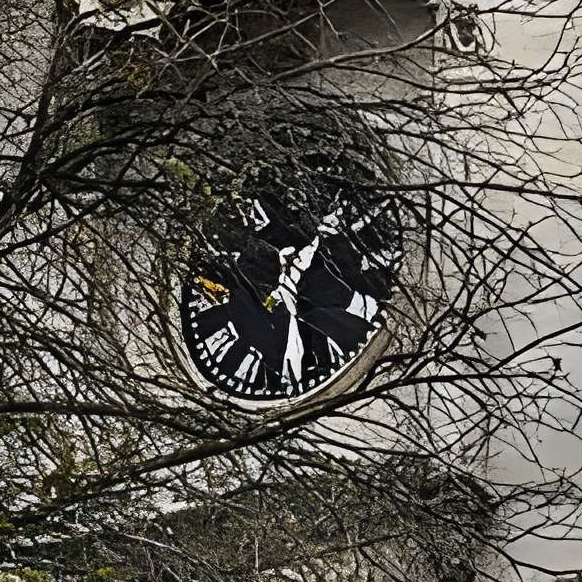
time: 1:29
